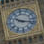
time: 10:17
